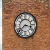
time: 3:38
